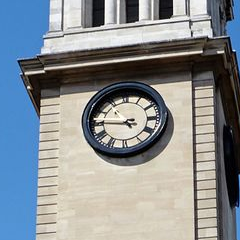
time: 10:45
